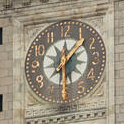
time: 12:07
